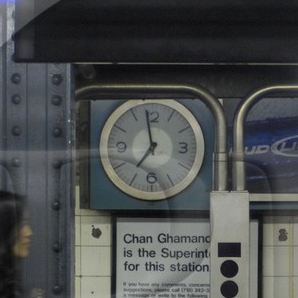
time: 6:58
